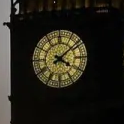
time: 4:08
